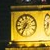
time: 7:34
